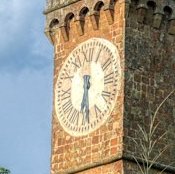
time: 6:29
